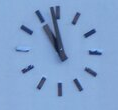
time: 10:58
